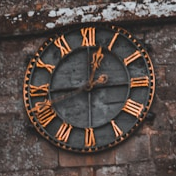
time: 12:44
